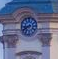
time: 8:40
